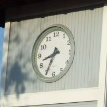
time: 8:34
